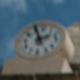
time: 1:56
